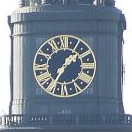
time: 1:34
